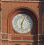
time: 6:03
